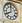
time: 7:59
